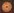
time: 4:12
